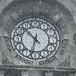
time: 10:32
